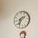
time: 1:32
